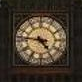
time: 4:46
